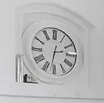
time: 2:32
